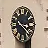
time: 3:22
